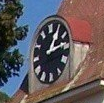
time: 1:13
